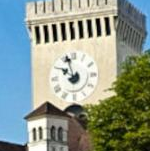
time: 9:57
